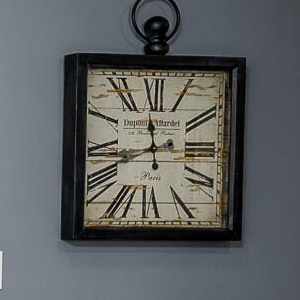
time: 11:42
